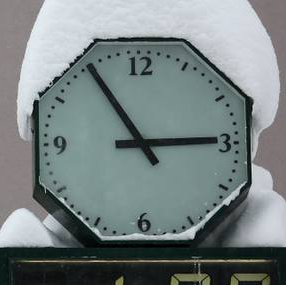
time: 2:54
